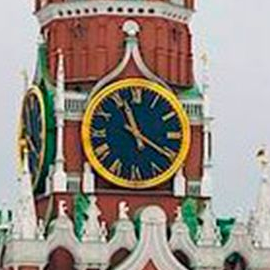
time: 11:20
